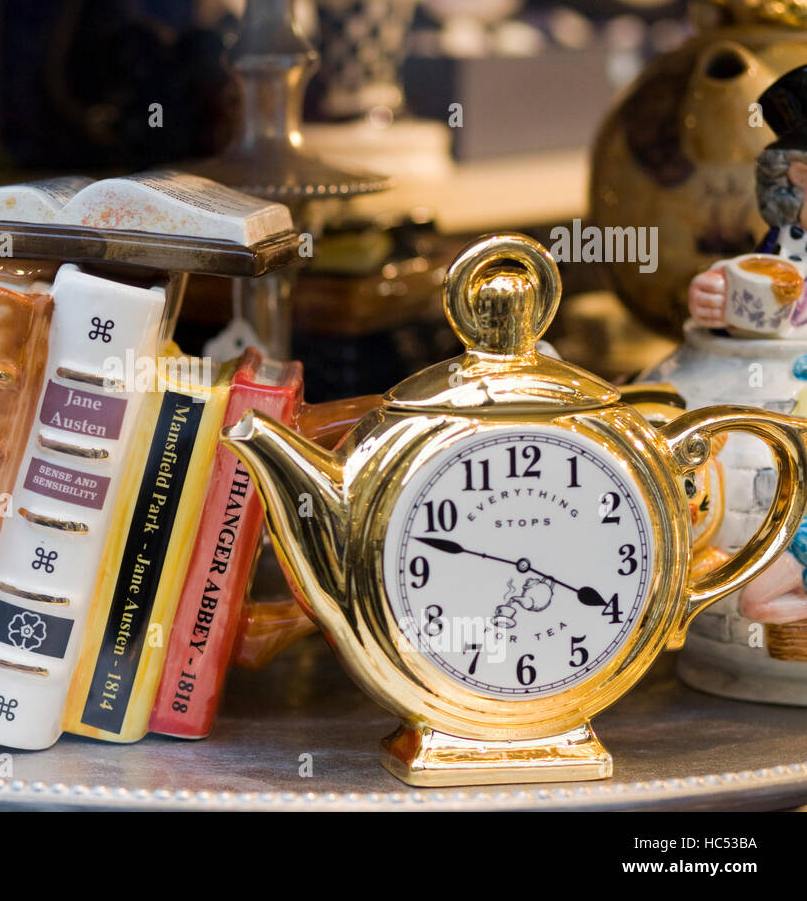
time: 3:47
